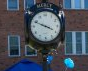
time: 3:48
